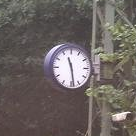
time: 11:28
